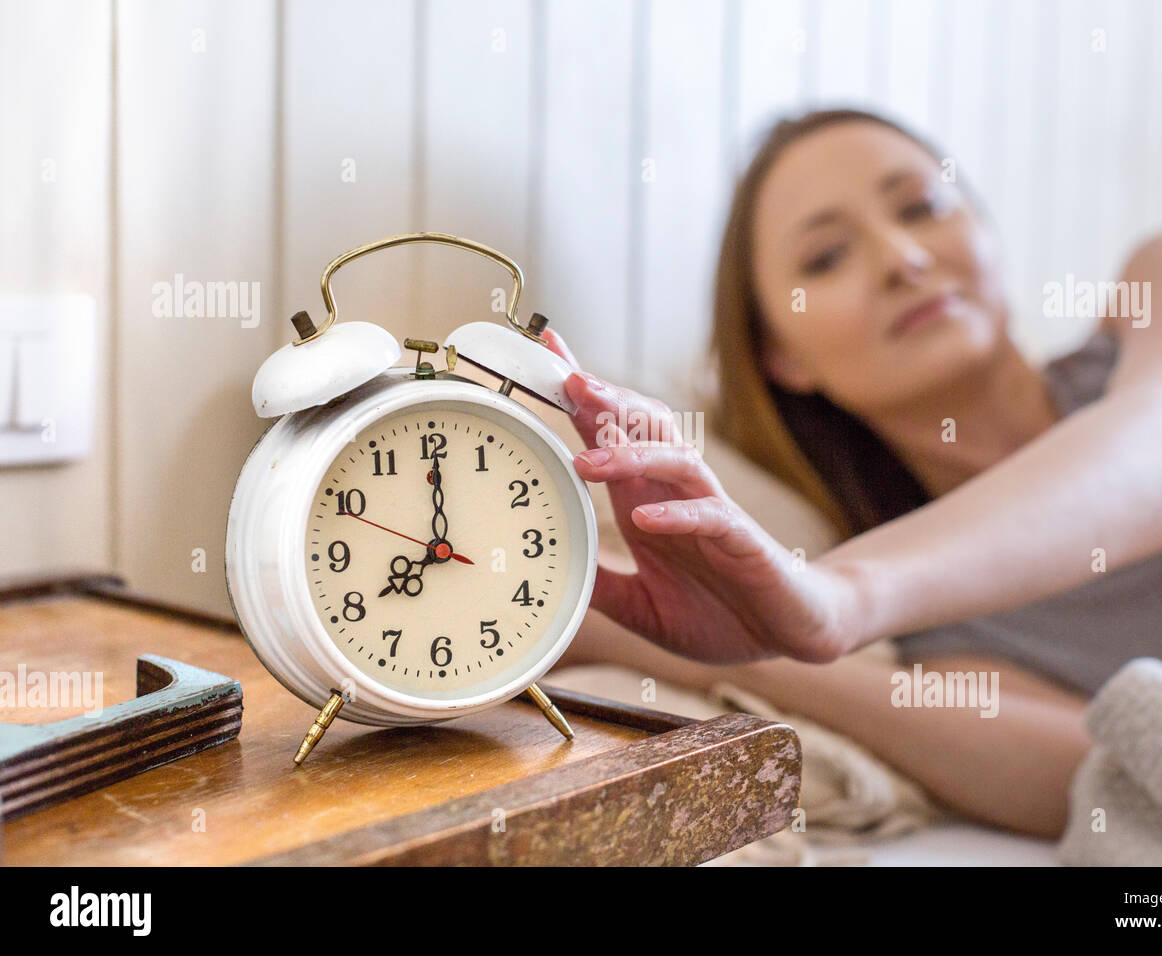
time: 8:00
